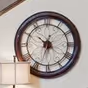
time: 10:33
